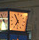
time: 6:54
